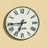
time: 6:44
